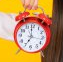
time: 6:59
